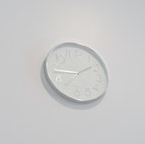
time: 1:43
